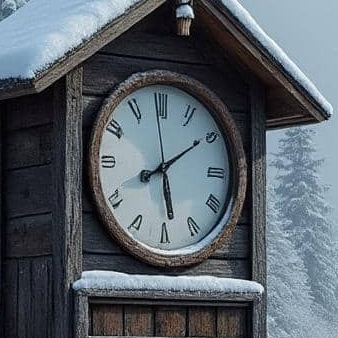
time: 8:09
